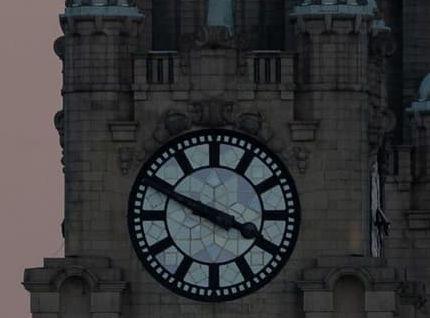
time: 3:48
